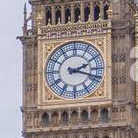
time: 2:18
